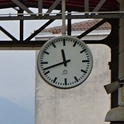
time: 11:41
